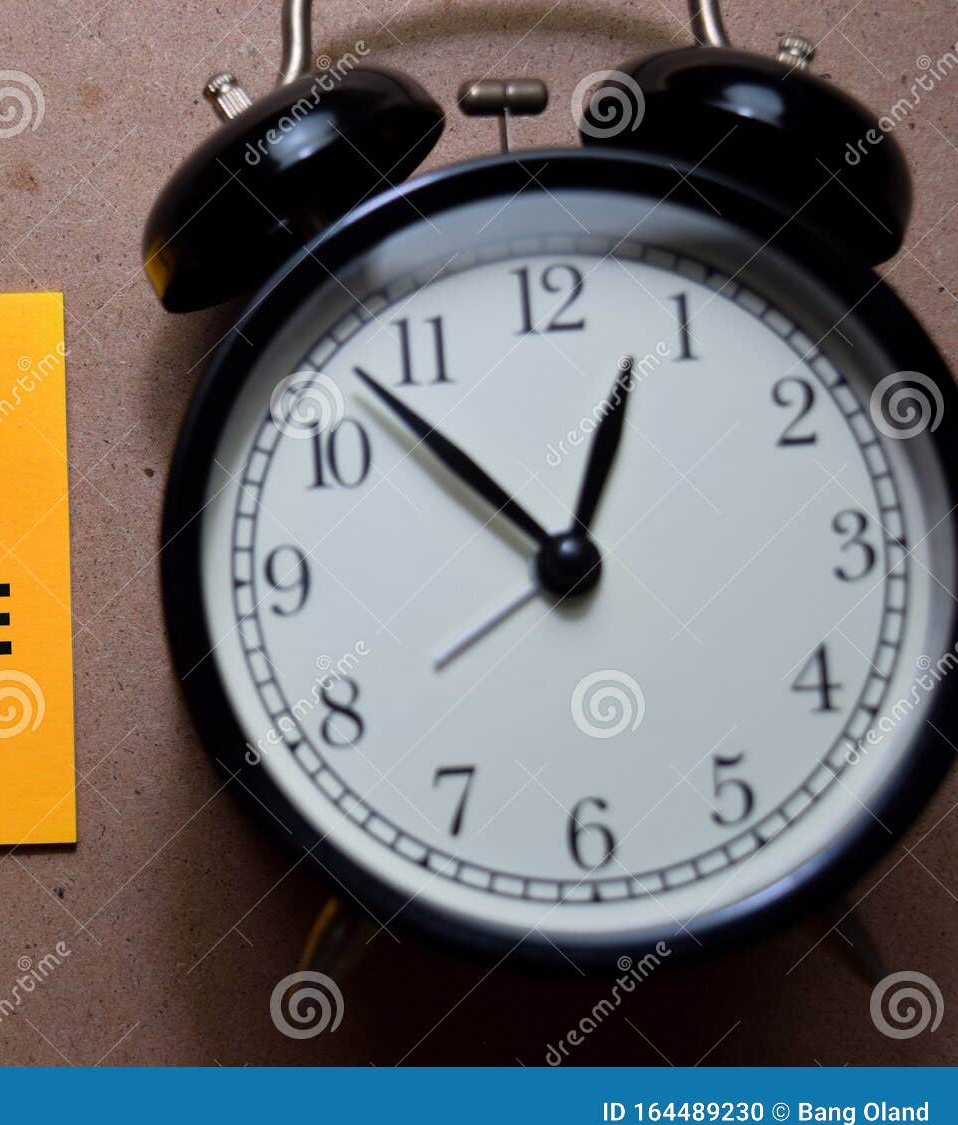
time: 12:53
